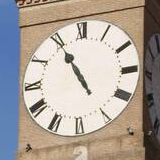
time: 10:54
